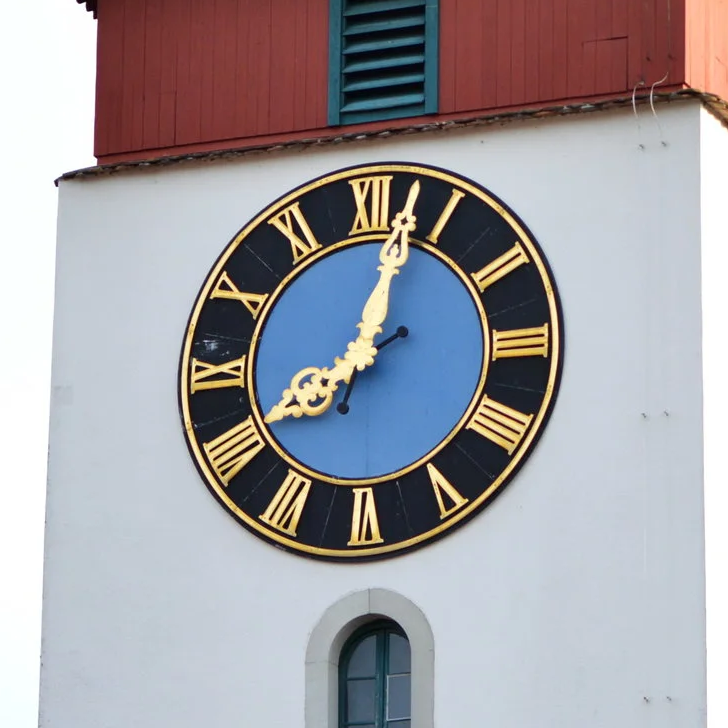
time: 8:02
